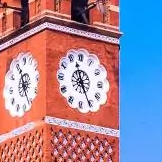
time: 11:25
